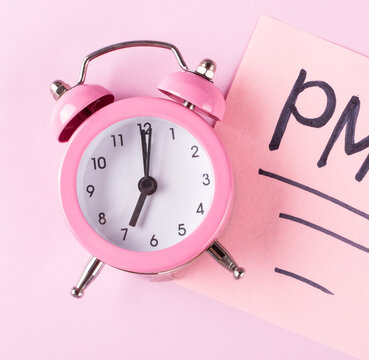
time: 7:00
